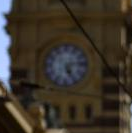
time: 5:13
